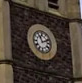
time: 11:11
